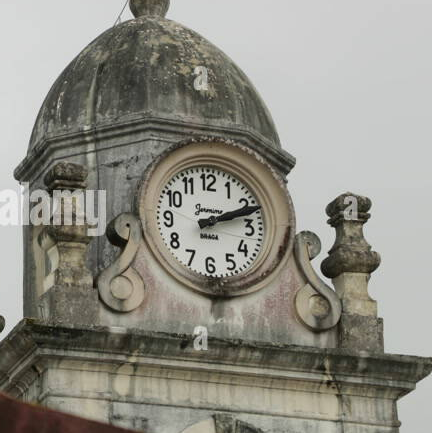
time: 2:11
